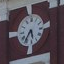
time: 5:36
